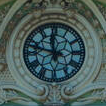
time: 11:47
